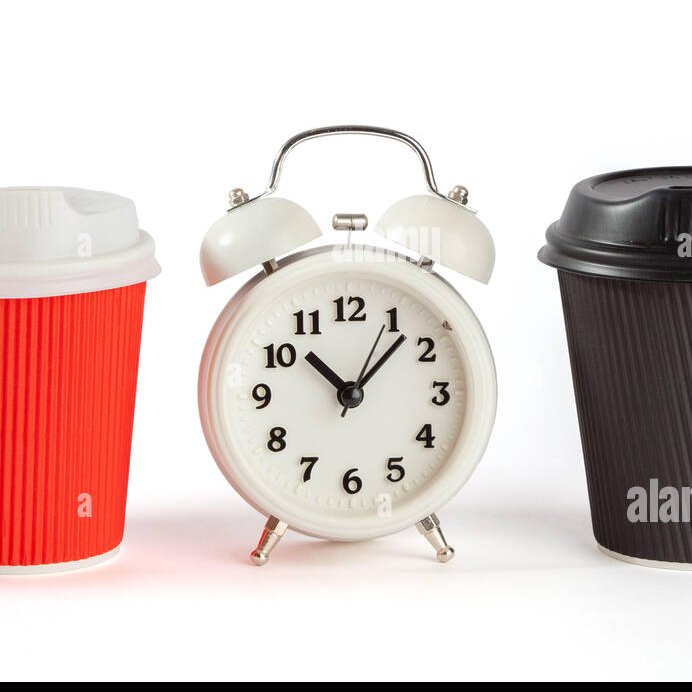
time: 10:07
